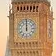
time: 12:00
